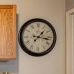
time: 1:16
